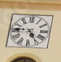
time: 4:45
